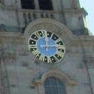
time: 12:13
